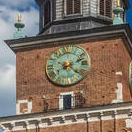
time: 2:21
